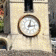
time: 3:02
